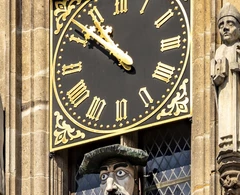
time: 10:51
